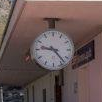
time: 9:23
